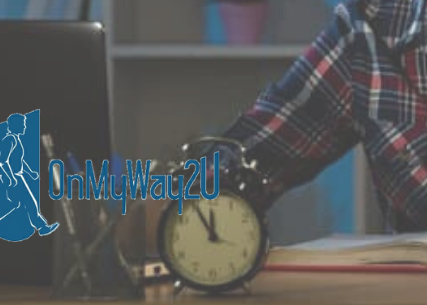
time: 11:55
